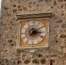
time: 3:09
